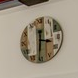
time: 3:30
